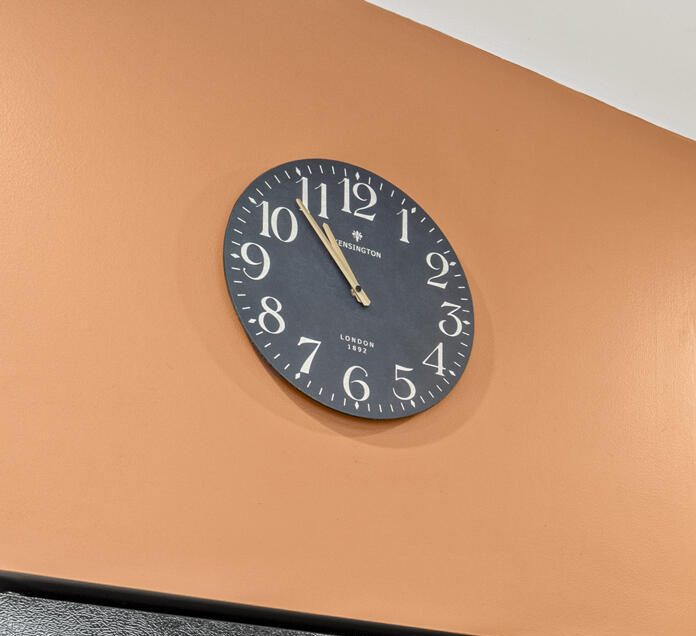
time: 10:52
